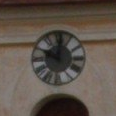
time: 10:00
